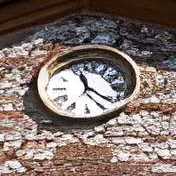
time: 11:21
